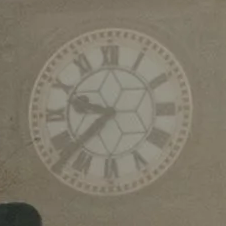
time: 9:37
